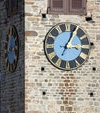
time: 3:04
